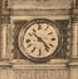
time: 10:23
